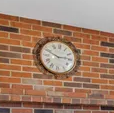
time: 2:48
